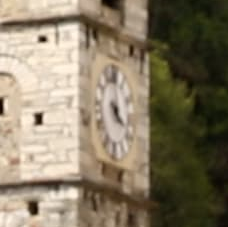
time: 3:58
